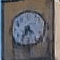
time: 4:35
